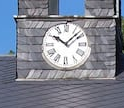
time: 10:07
